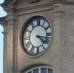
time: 4:17
